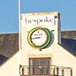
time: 8:44
